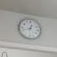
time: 12:41
